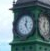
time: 12:24
